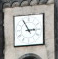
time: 2:55
